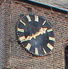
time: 1:39
